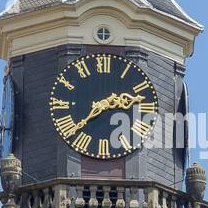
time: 2:38
